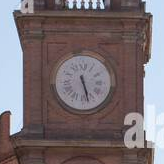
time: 5:27
